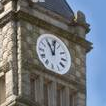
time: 11:01
